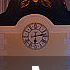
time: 6:13
